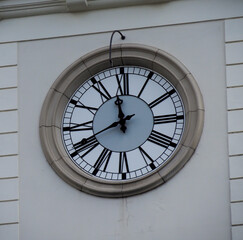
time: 11:40
